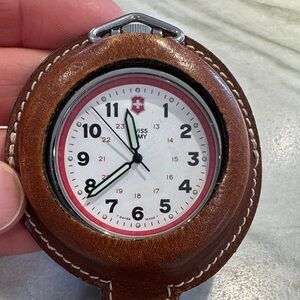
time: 11:38
